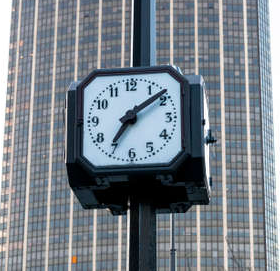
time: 7:09
